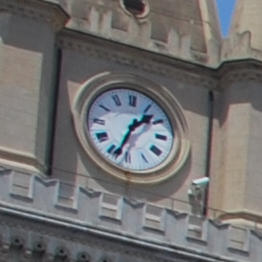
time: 1:33
